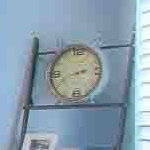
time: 2:41
